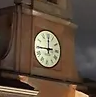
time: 11:44
